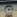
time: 3:02
